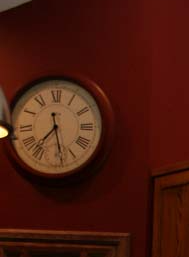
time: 7:28
